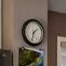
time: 1:32
